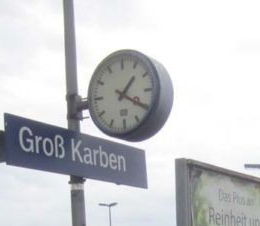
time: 1:20
